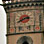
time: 2:40
